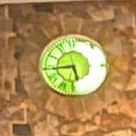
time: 5:43
